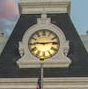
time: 9:13
